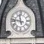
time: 11:46
